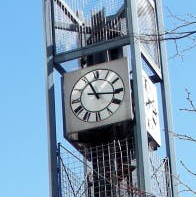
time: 11:15
